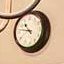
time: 10:47
